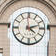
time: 4:11
